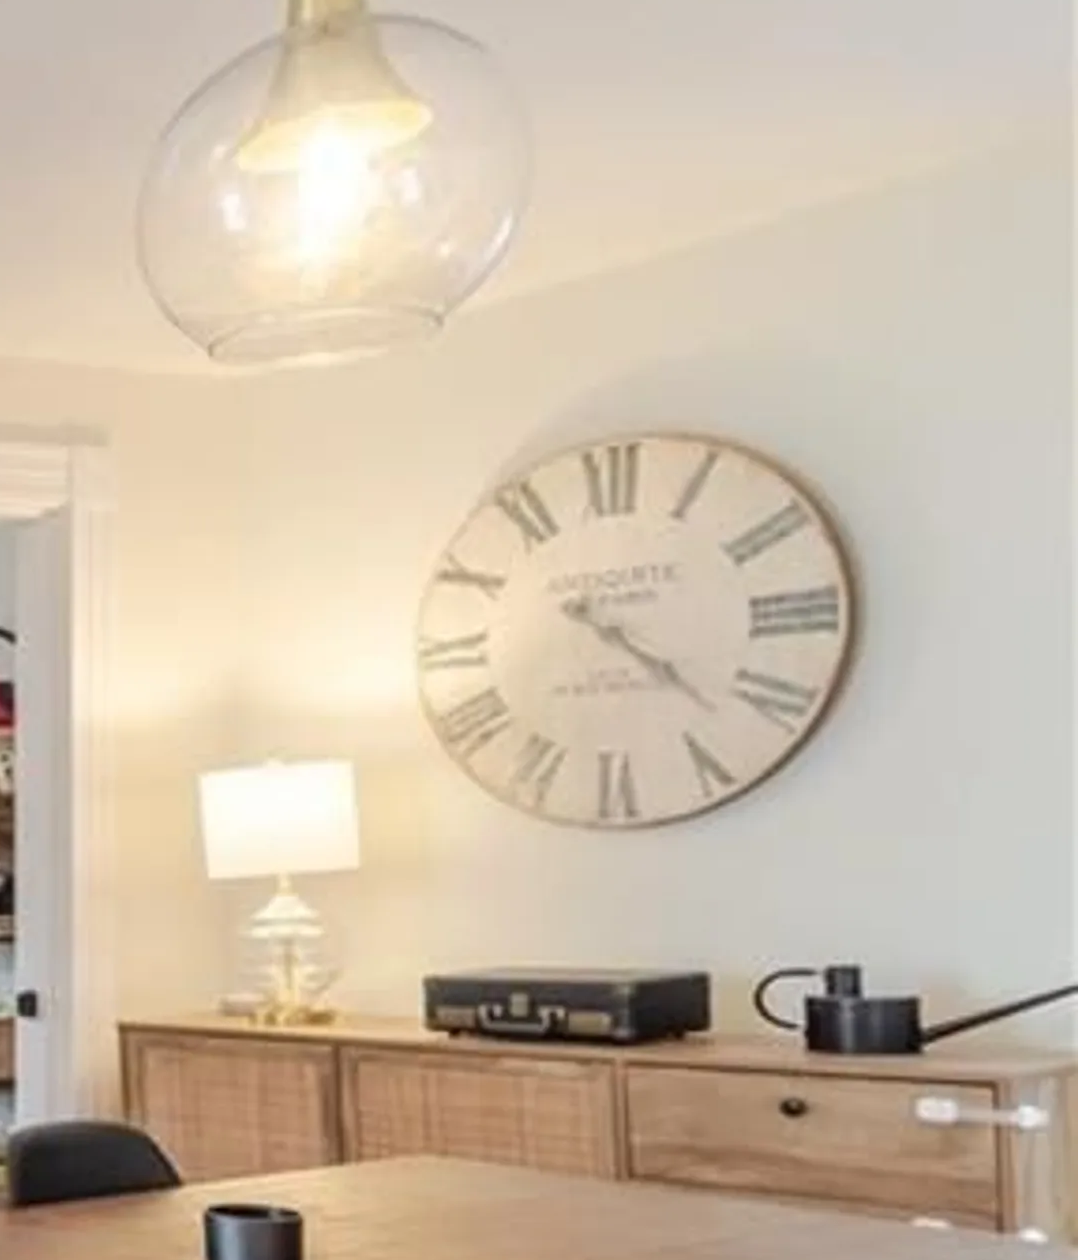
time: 4:21
